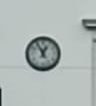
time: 12:55
